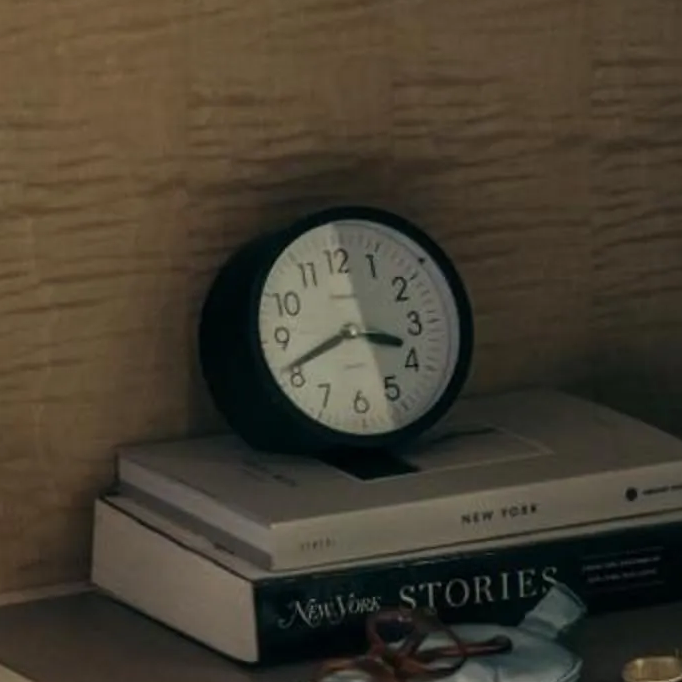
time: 3:41
